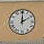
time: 2:00
